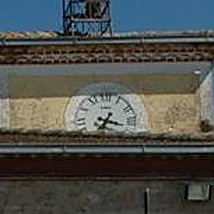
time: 3:34
